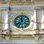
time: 11:38
